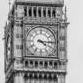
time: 4:15
